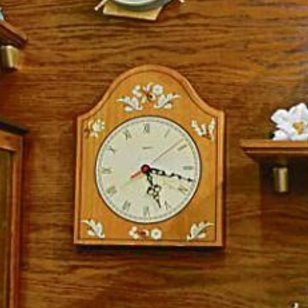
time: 5:17
